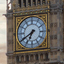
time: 6:39
